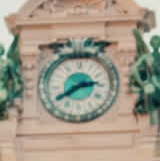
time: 2:39
